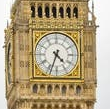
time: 4:33
